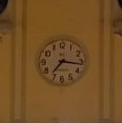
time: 7:16
